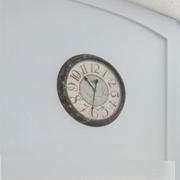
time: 10:31
